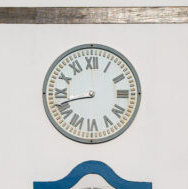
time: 8:42
